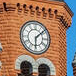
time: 6:08
